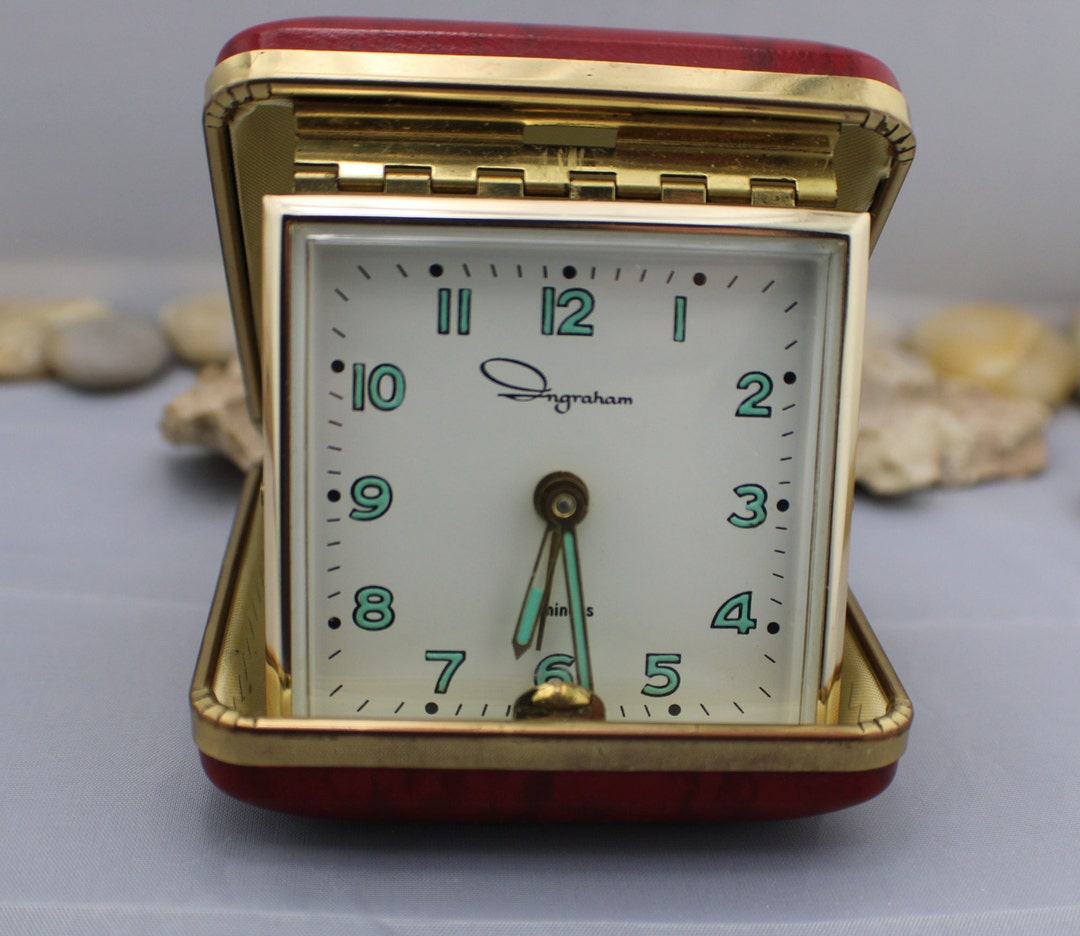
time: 6:28
